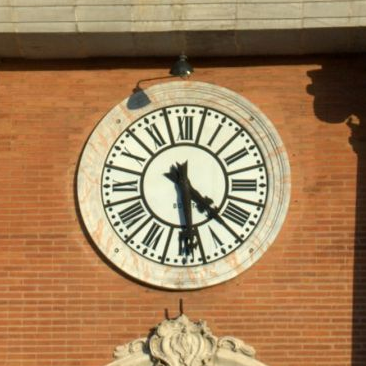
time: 4:28
